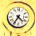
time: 4:35
